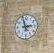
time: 2:57
